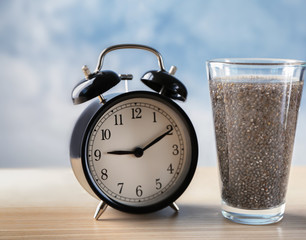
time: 9:10
